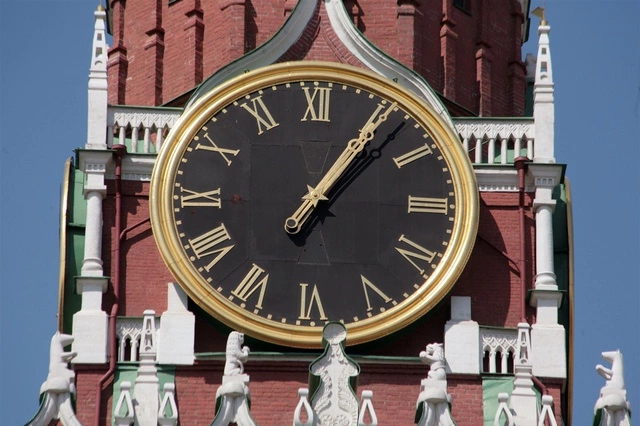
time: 1:06
